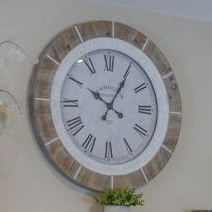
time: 10:05
